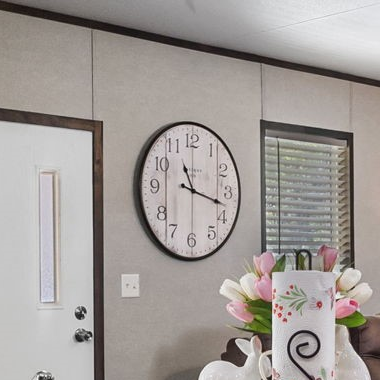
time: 11:17
